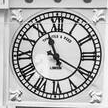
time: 11:19
